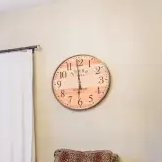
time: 5:59
